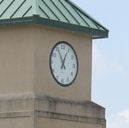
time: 12:55
